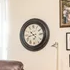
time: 10:42
